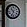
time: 10:34
